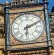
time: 6:10
